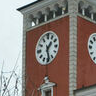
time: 1:28
